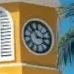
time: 2:53
